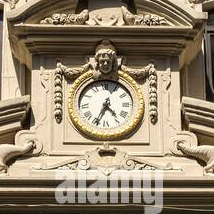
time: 4:34
